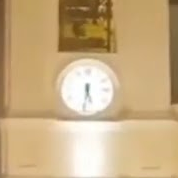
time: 5:31
